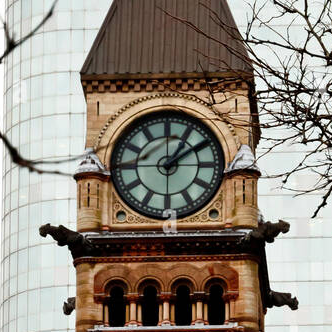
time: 1:09
